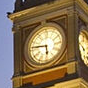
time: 5:46
